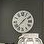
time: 1:38
